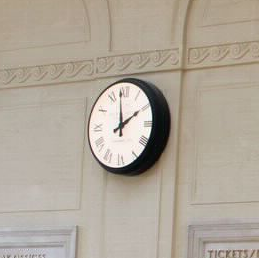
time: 1:59
